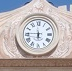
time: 5:45
